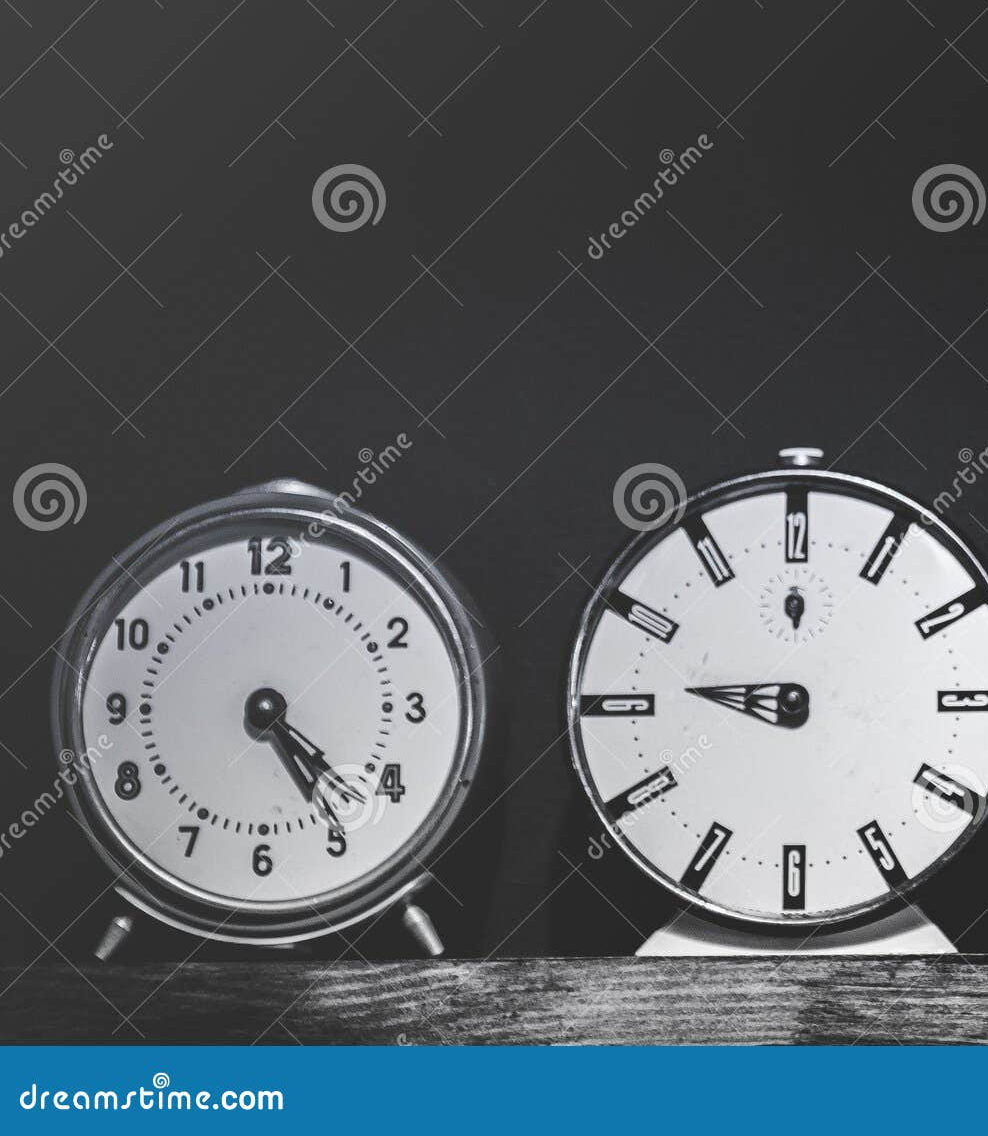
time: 4:24
